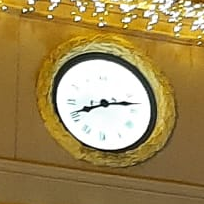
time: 8:13
